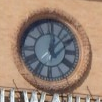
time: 12:07
